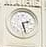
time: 2:27
